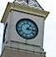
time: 1:16
